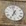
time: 6:58
